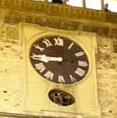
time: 8:45
